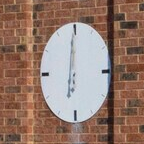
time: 5:59
